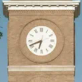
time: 6:41
